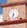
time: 6:32
